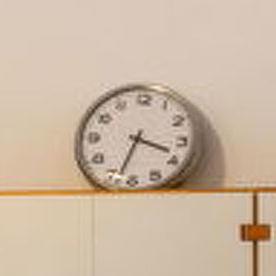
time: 3:33
